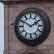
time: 1:50
